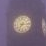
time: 7:15
